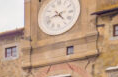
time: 4:42
